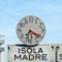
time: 6:20
